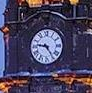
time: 9:24
